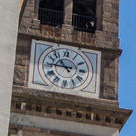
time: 10:45
